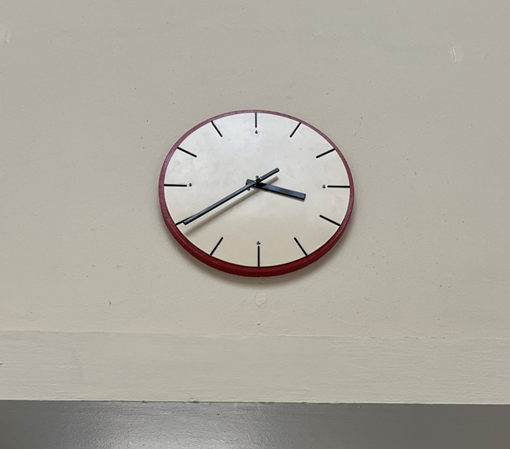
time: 3:39
